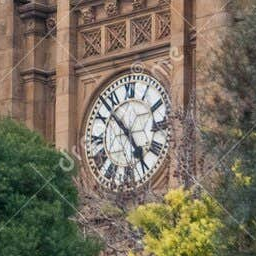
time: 4:52
